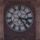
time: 3:24
